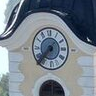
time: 7:37
